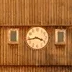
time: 3:43
